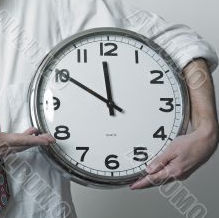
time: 11:50
